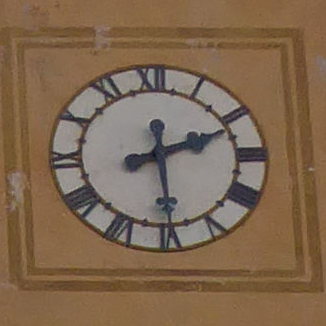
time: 2:29
